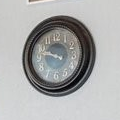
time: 9:47
